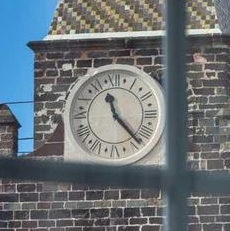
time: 11:23
